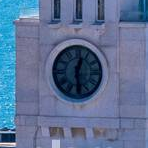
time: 12:28
